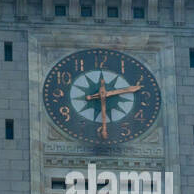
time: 2:29
